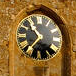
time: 10:36
